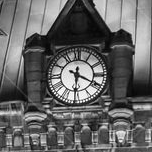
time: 6:19
